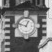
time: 12:47
